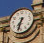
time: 7:32
